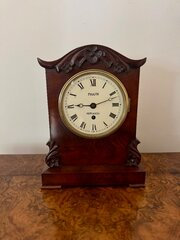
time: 9:12
